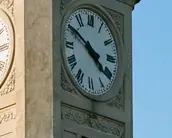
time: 3:50
